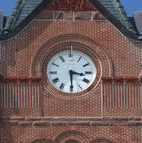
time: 3:29
